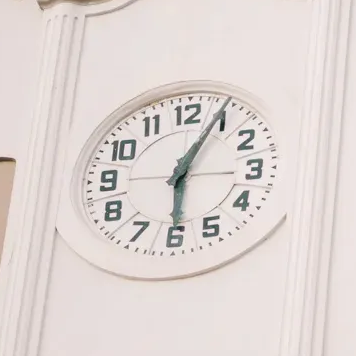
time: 6:04
